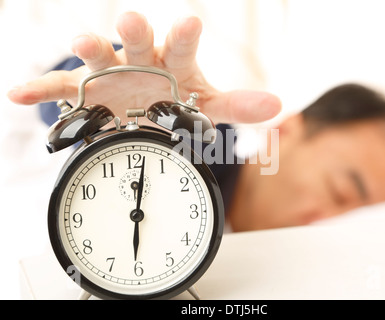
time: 6:01
